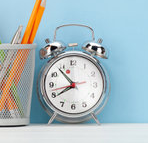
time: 7:53
